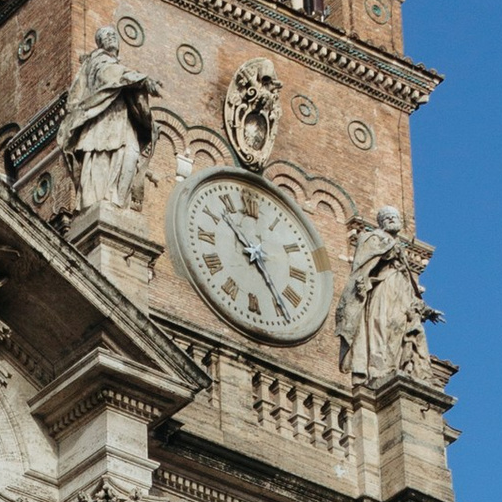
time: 10:23
